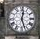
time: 12:26
